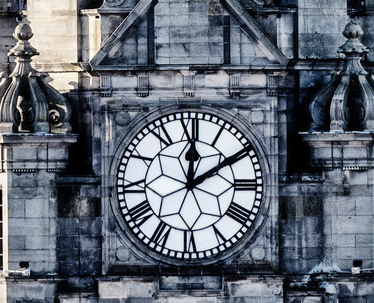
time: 12:09
